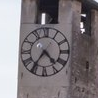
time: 4:35
